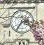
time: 2:36
